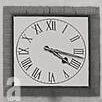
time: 4:17
